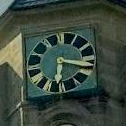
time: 6:17
